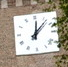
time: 12:06
